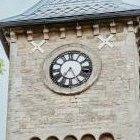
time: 7:25
